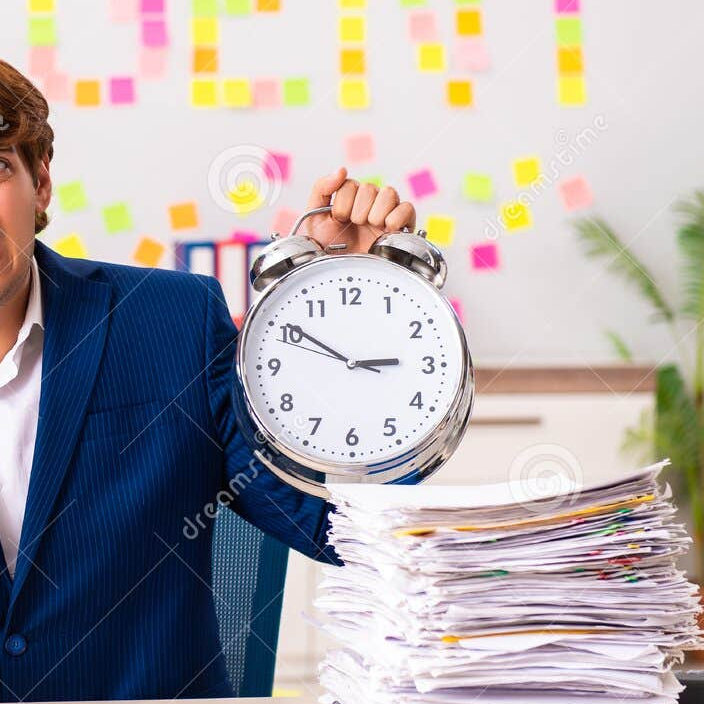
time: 2:50
